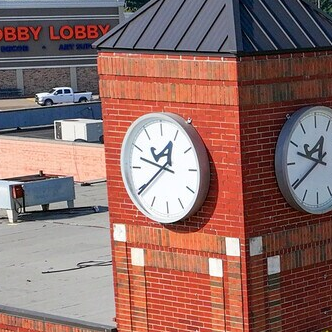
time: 12:39
